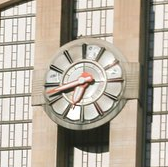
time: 6:41
